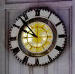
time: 9:53
